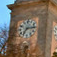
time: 7:15
